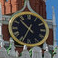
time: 10:34
